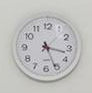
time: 3:26
